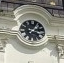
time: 1:13
